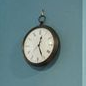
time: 12:26
